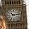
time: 10:14
